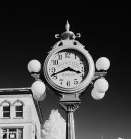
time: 3:41
